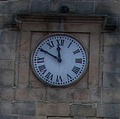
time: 11:49
